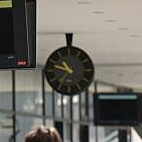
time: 10:47
